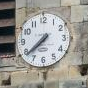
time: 7:38
